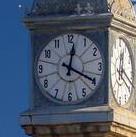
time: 12:19
